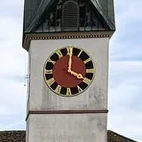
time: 4:00
